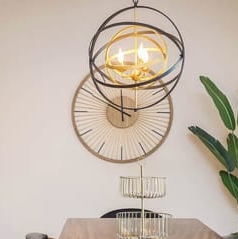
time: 10:12
